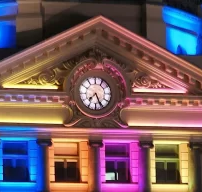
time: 7:25
